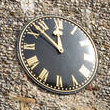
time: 11:51
